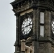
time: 2:42
